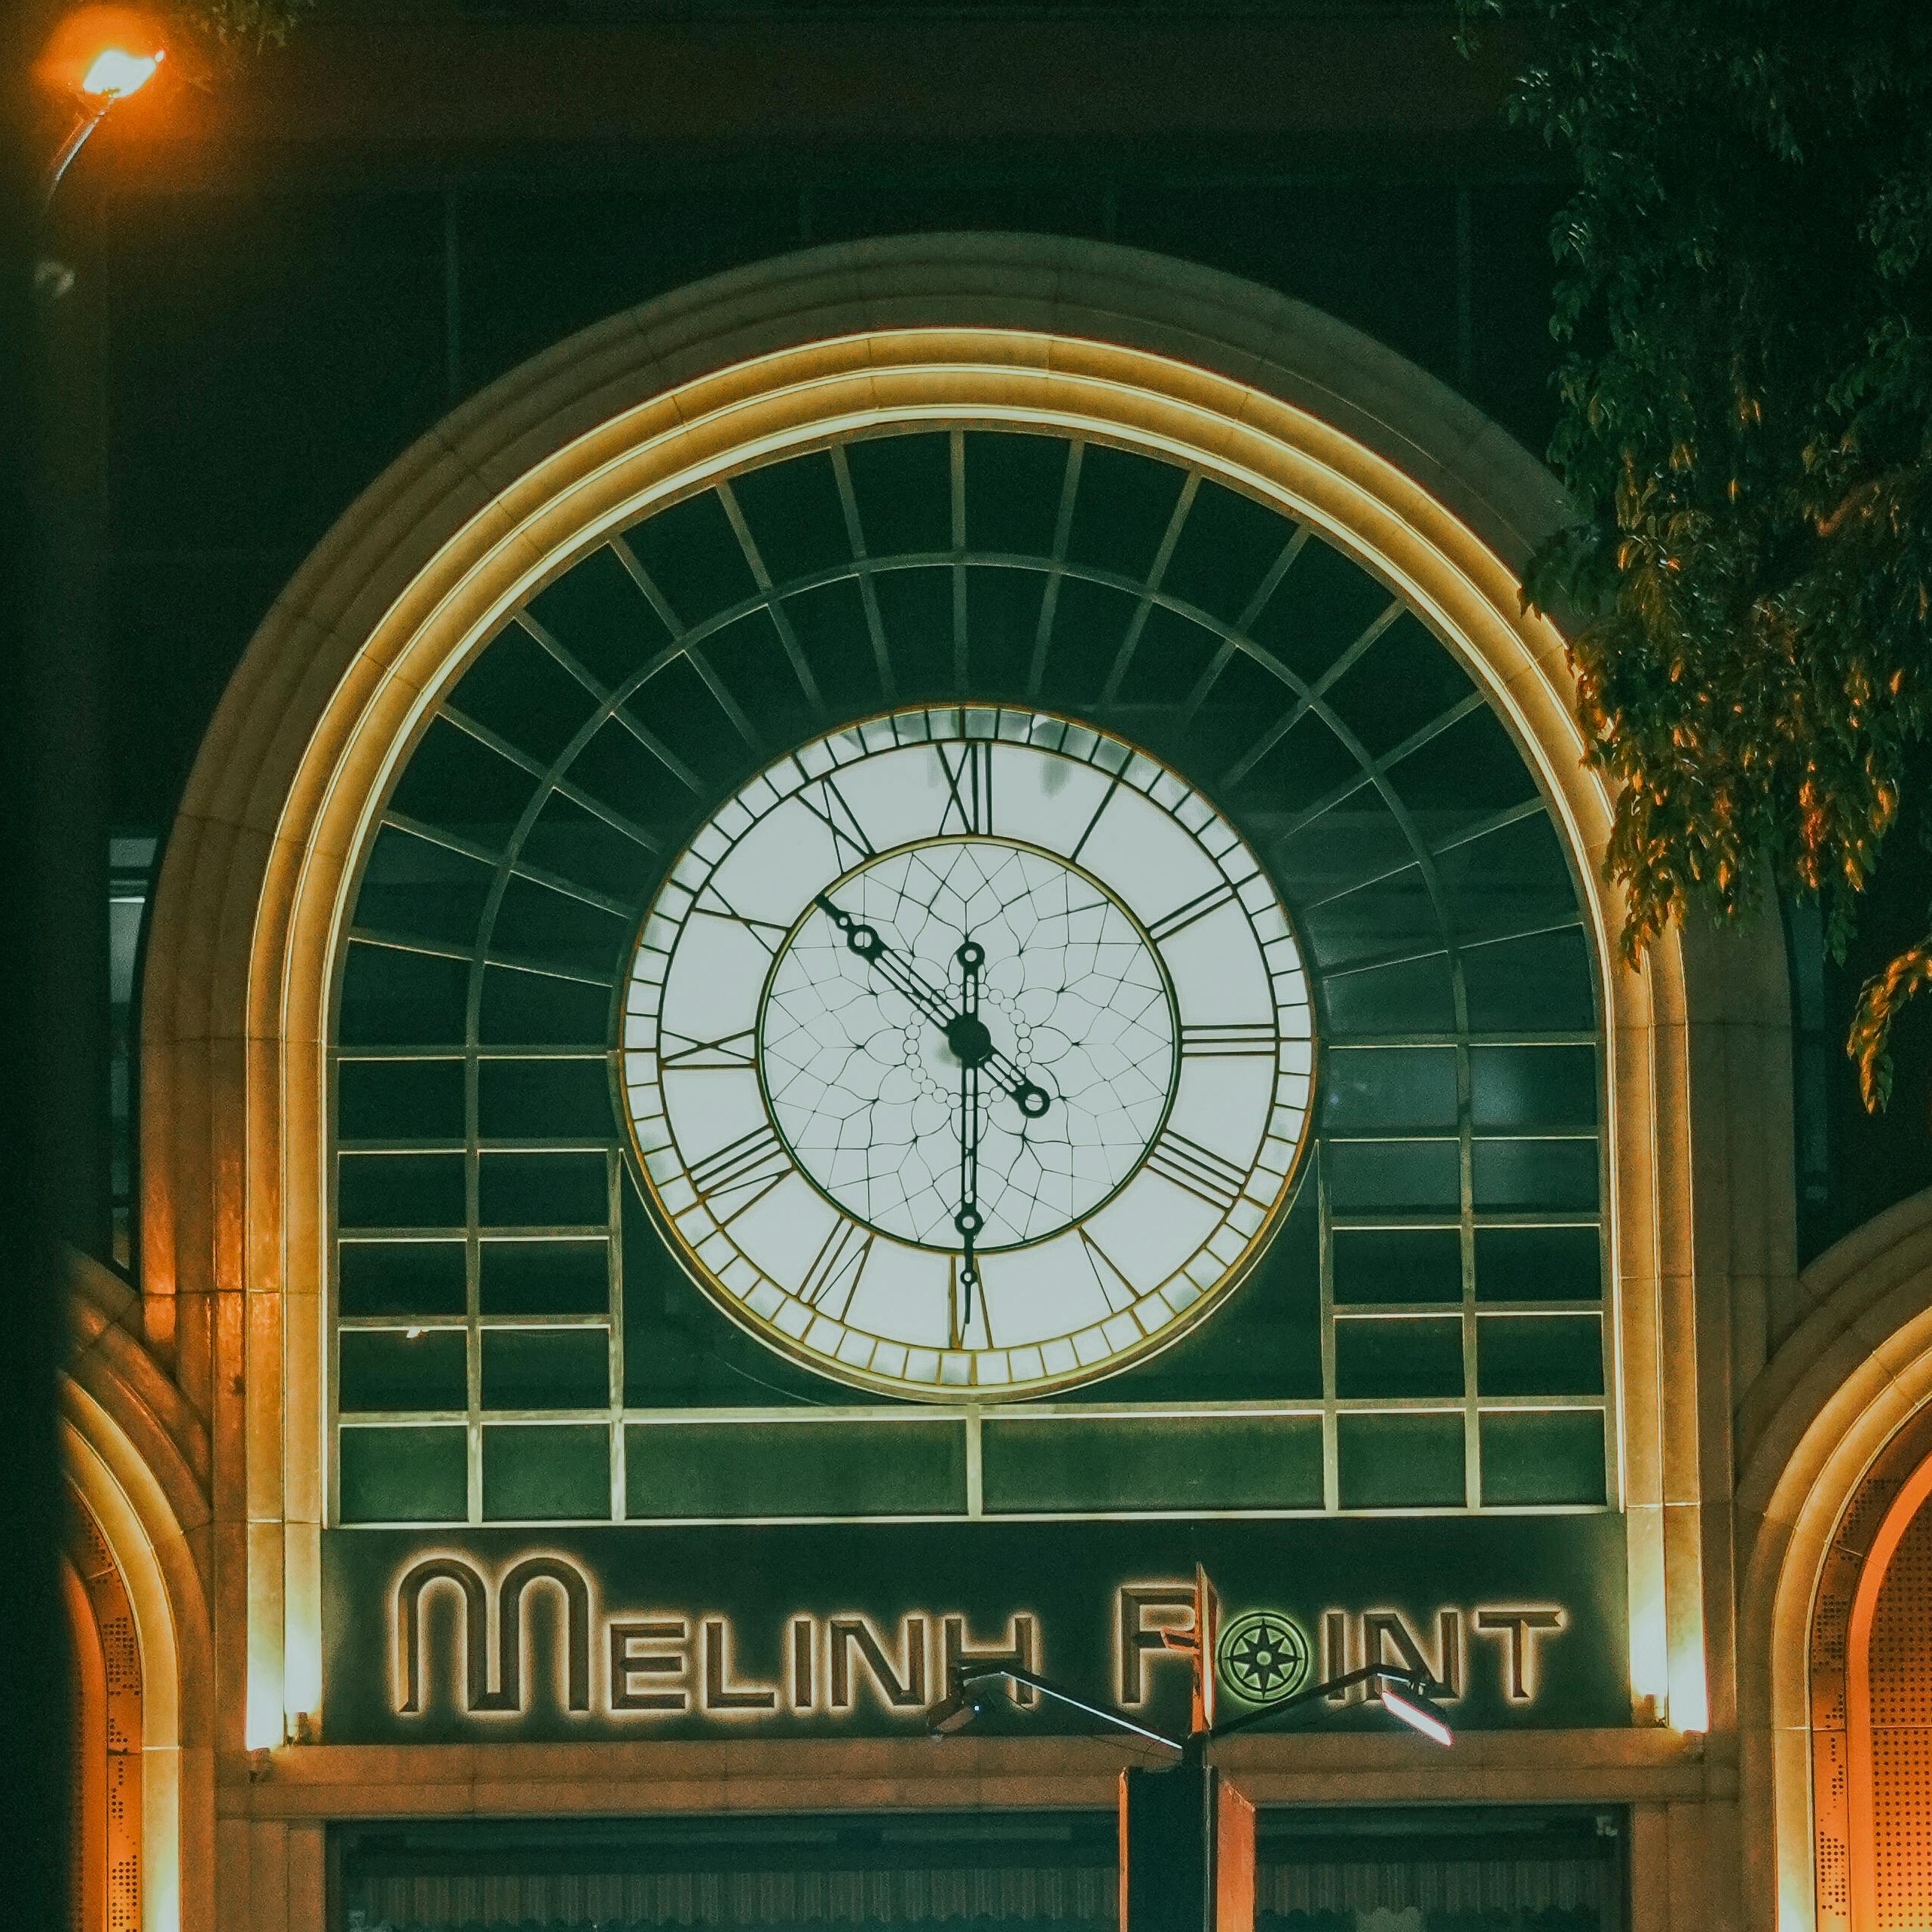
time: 10:30
